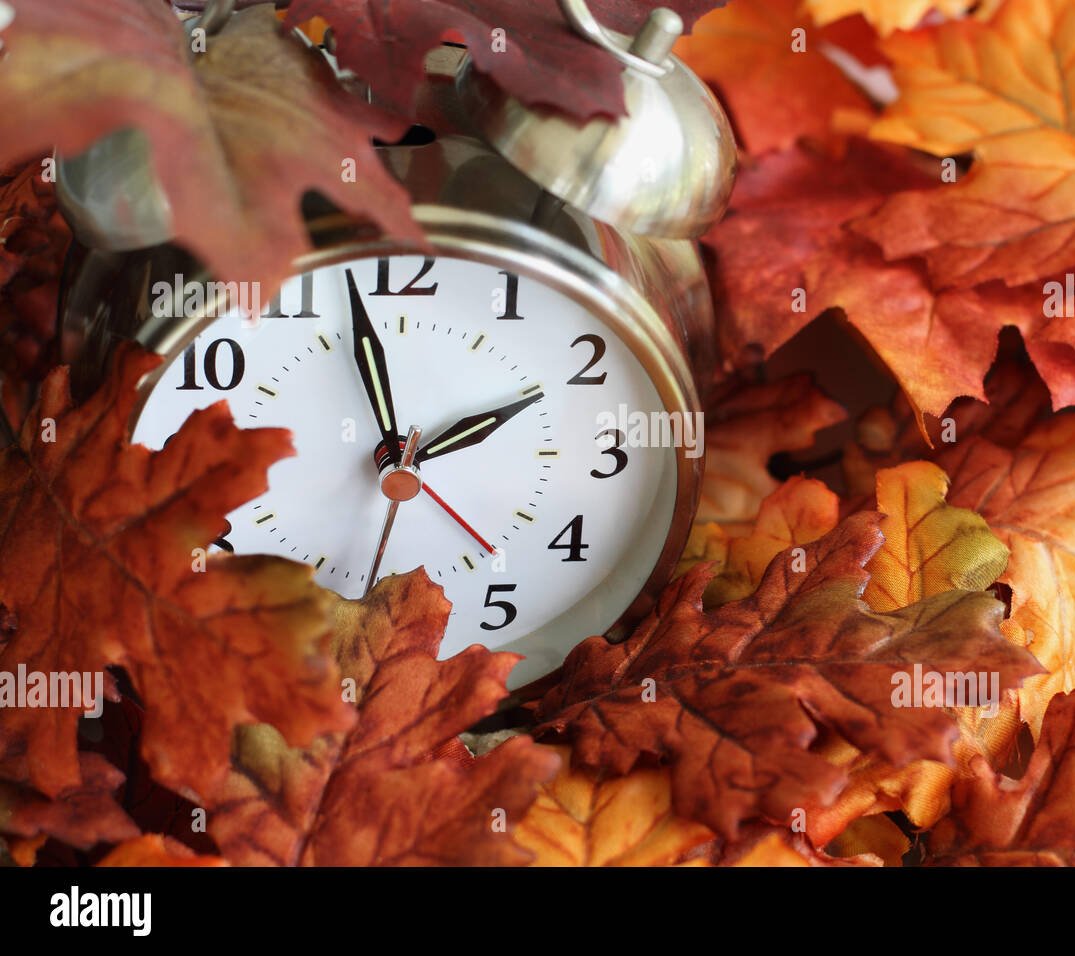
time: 1:57
